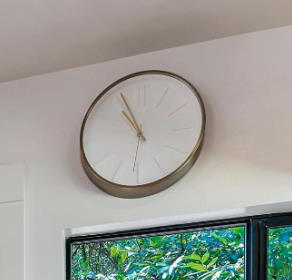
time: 10:55
